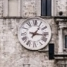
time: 1:16
